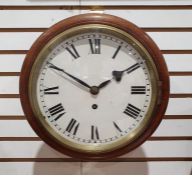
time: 1:50
